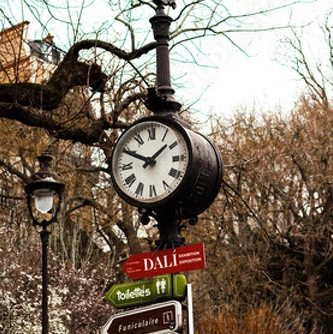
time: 1:49
